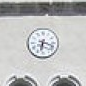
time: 6:17
